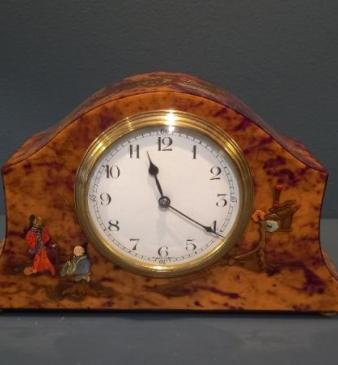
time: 11:20
